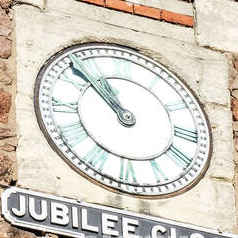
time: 10:52
